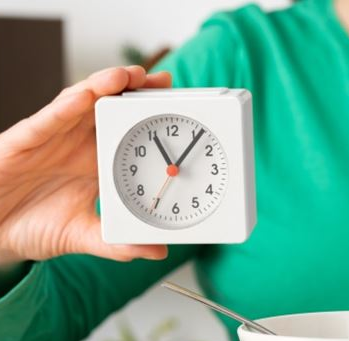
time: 11:06
